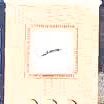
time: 8:12
